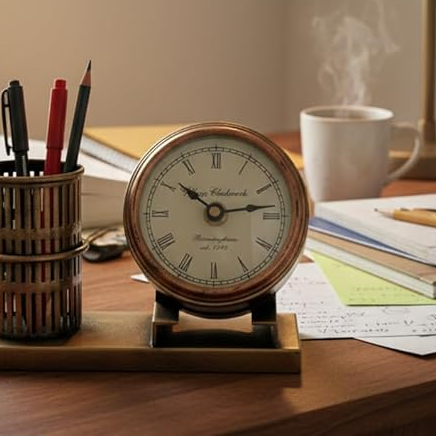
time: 10:13
